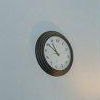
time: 10:50
